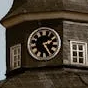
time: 2:24
